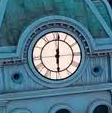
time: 6:01
